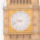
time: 9:42
